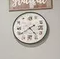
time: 4:39
